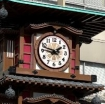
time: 1:47
